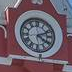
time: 4:11
